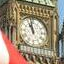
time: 10:58
